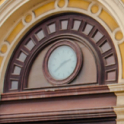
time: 2:39
